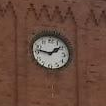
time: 1:46
